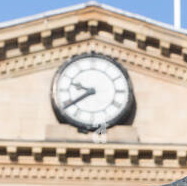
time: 9:39
